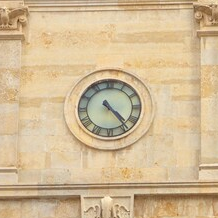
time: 4:23
